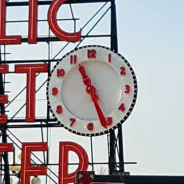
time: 11:26
